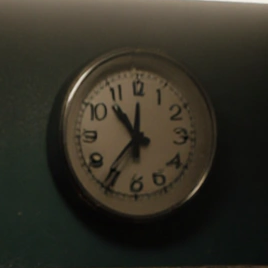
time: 10:36
